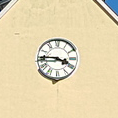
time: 3:45
